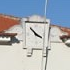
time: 3:52
